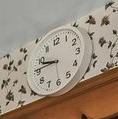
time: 9:45
